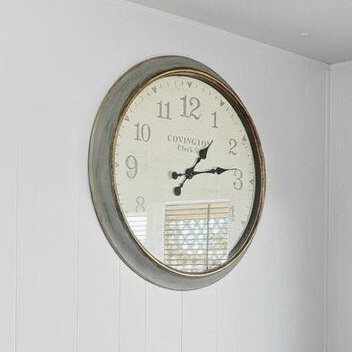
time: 1:13
